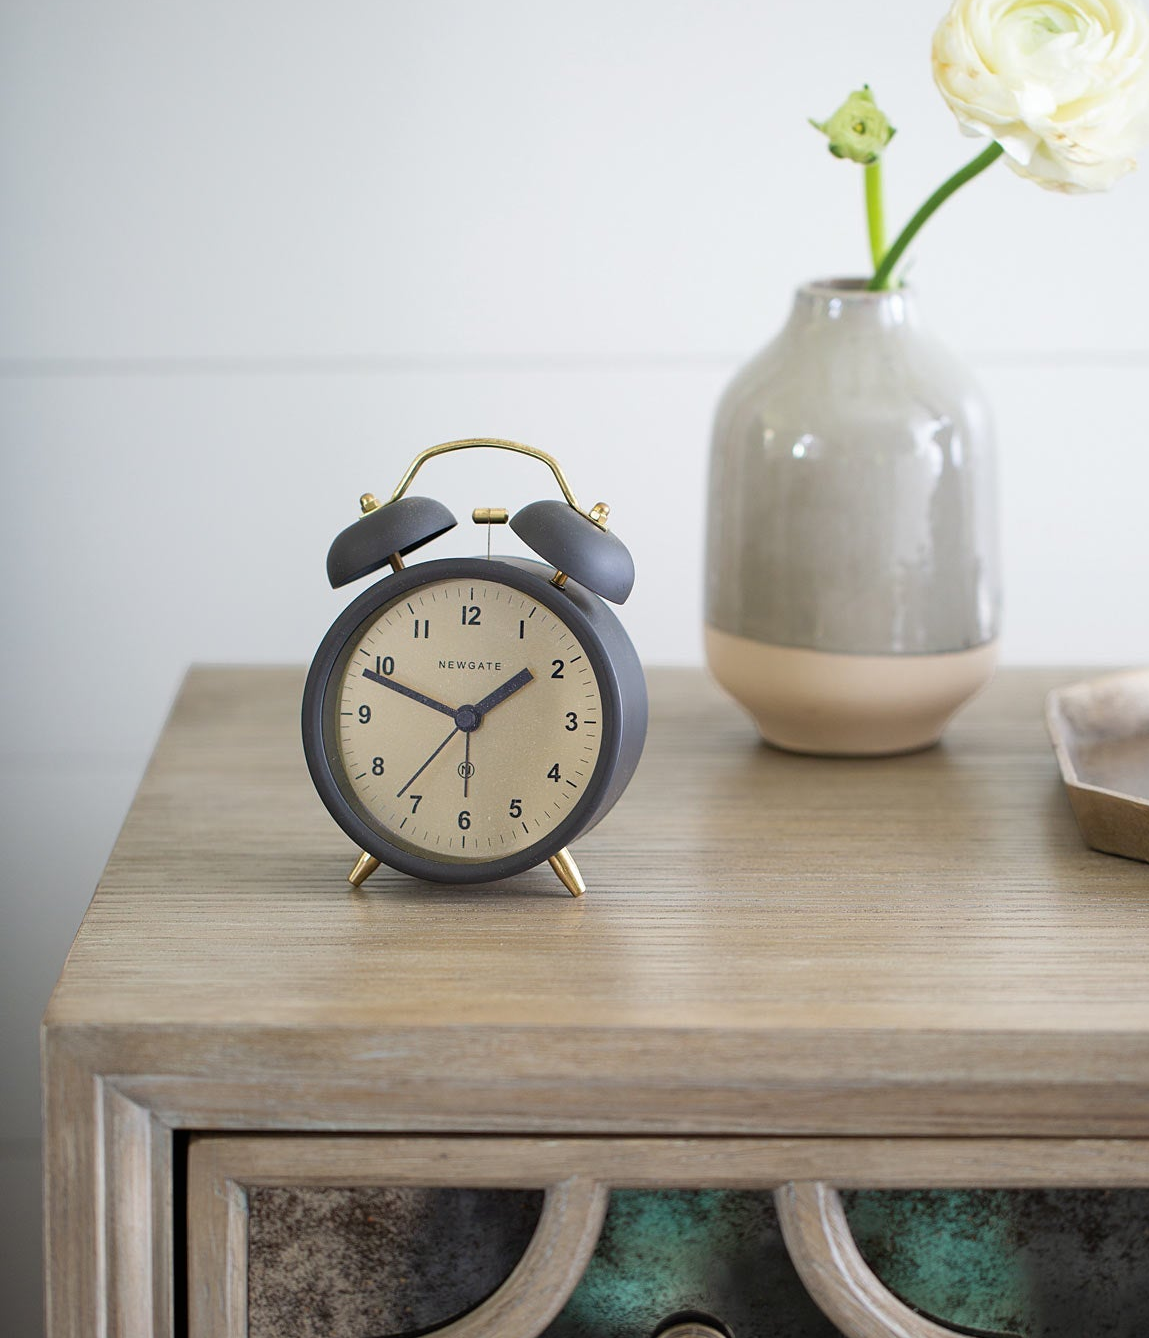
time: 1:48
